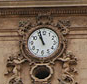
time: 10:56
